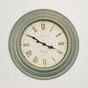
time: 3:50
